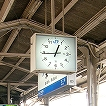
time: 12:44
